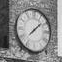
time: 1:37
